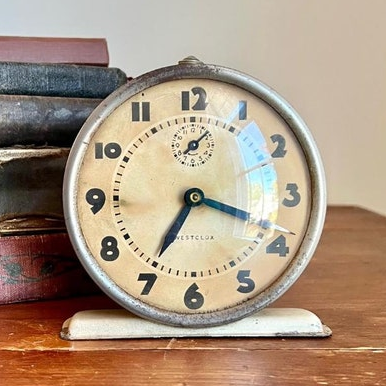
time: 3:35
